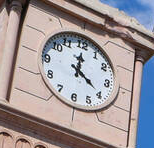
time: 4:00
